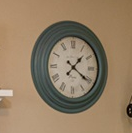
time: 1:20
